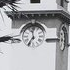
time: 11:35
